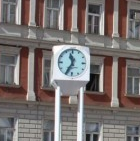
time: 11:34
